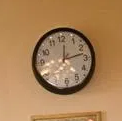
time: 12:13
